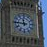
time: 11:45
